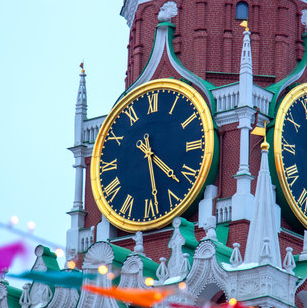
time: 4:28
